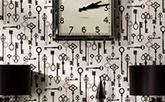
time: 2:13
